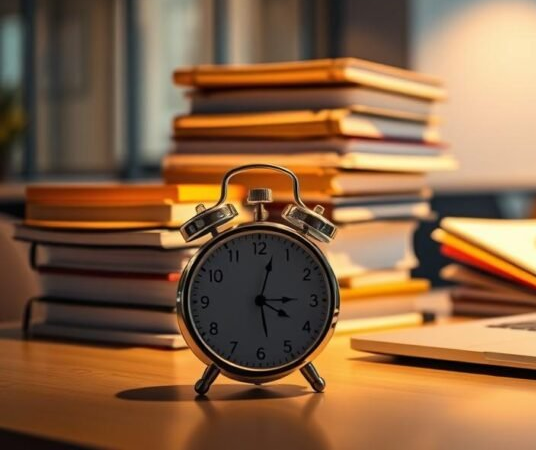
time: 4:02
